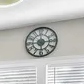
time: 6:14
